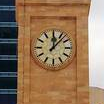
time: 12:07
